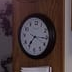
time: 7:15
